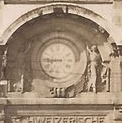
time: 8:45
